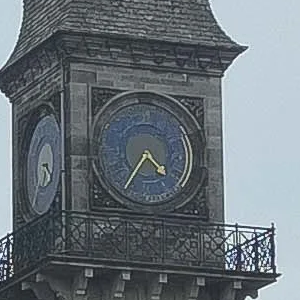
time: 4:35
